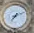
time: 7:11
